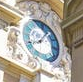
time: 8:07
